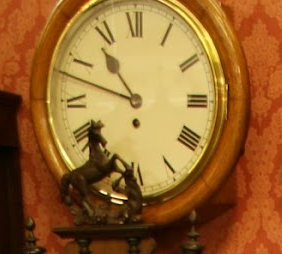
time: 10:47
